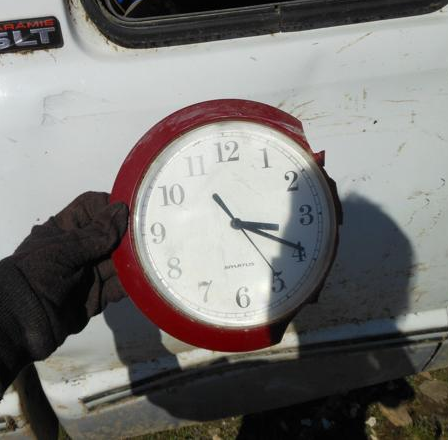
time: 3:19
